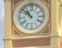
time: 10:52
